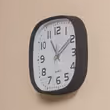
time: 11:09
